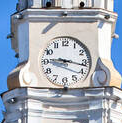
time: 9:16
